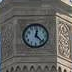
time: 12:22
